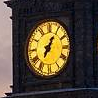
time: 7:04
